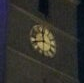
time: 11:41
